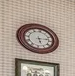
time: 5:14
